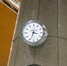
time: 3:33
